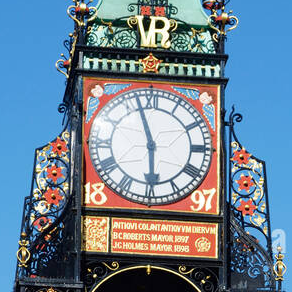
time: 5:57
